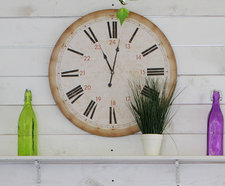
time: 11:01
